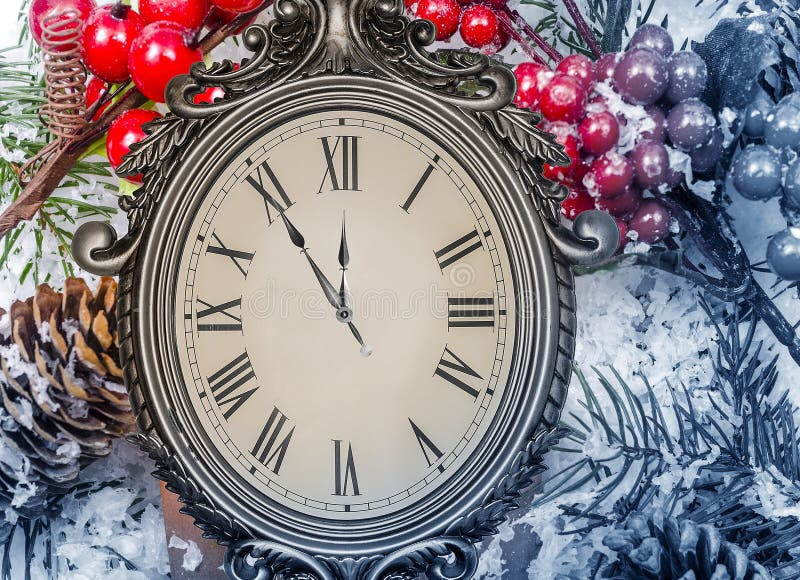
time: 11:54
